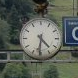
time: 4:31
